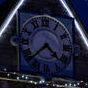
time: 4:37
